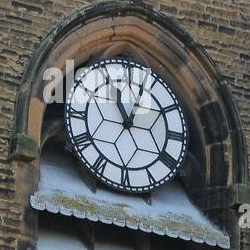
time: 11:03
